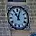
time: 11:03
